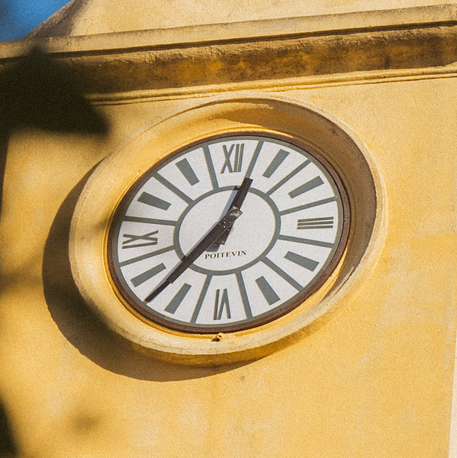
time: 12:37
